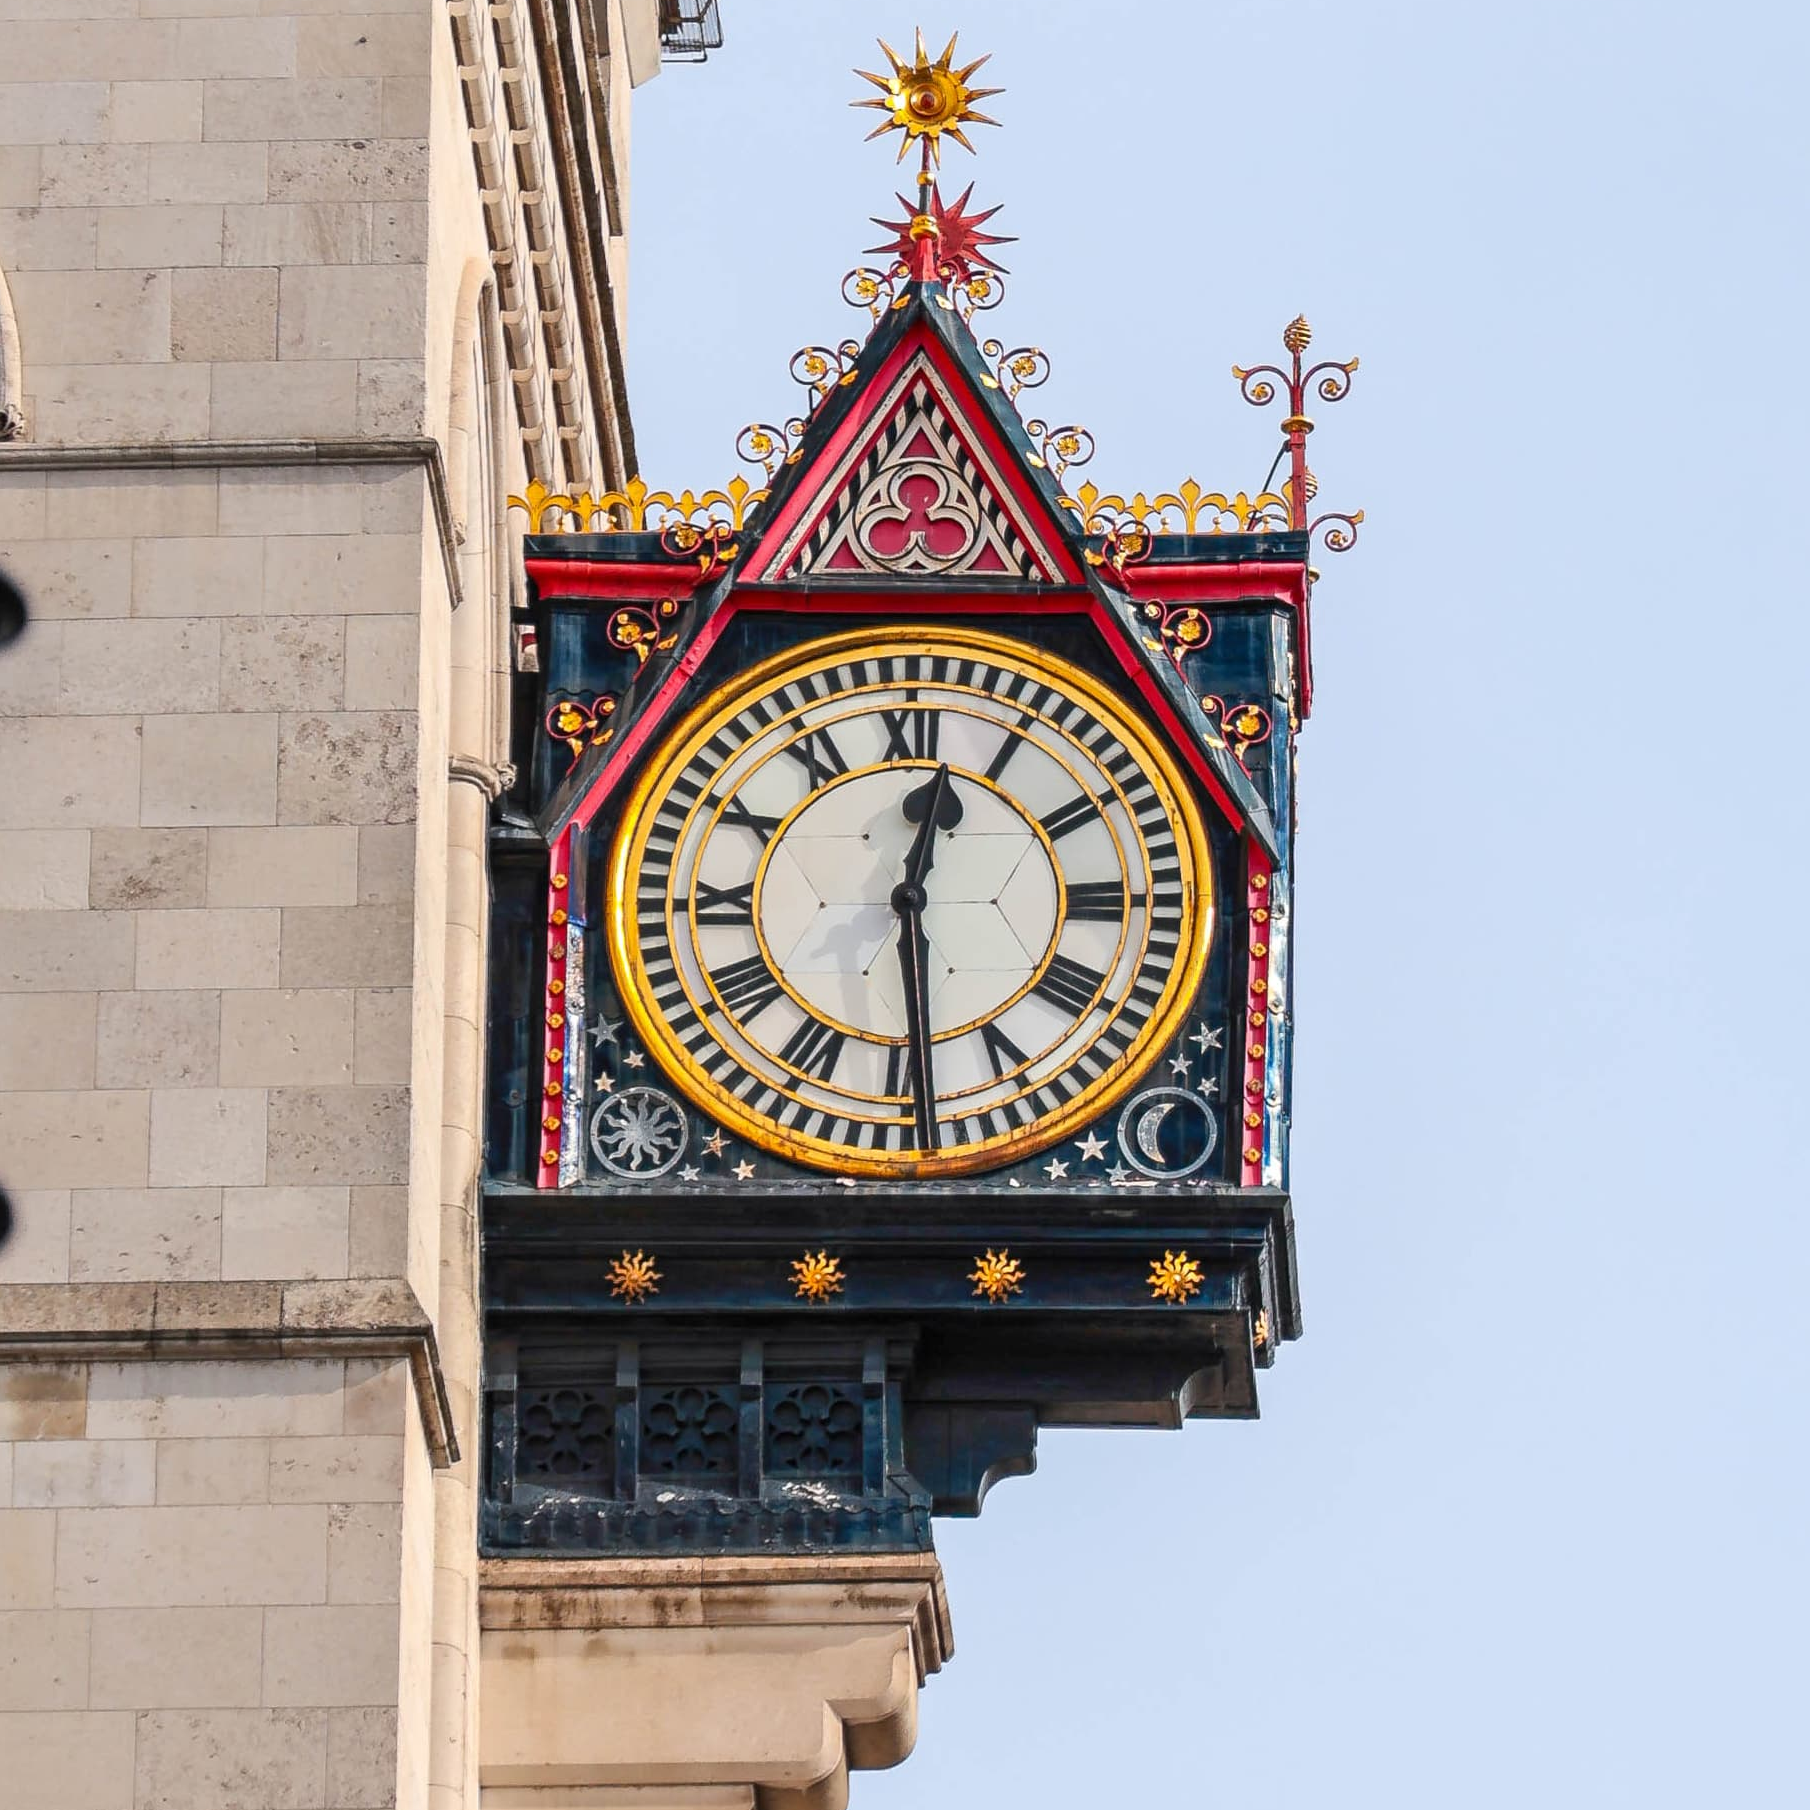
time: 12:29
